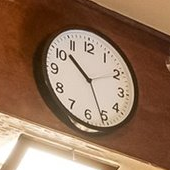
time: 10:25
